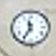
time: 11:35
